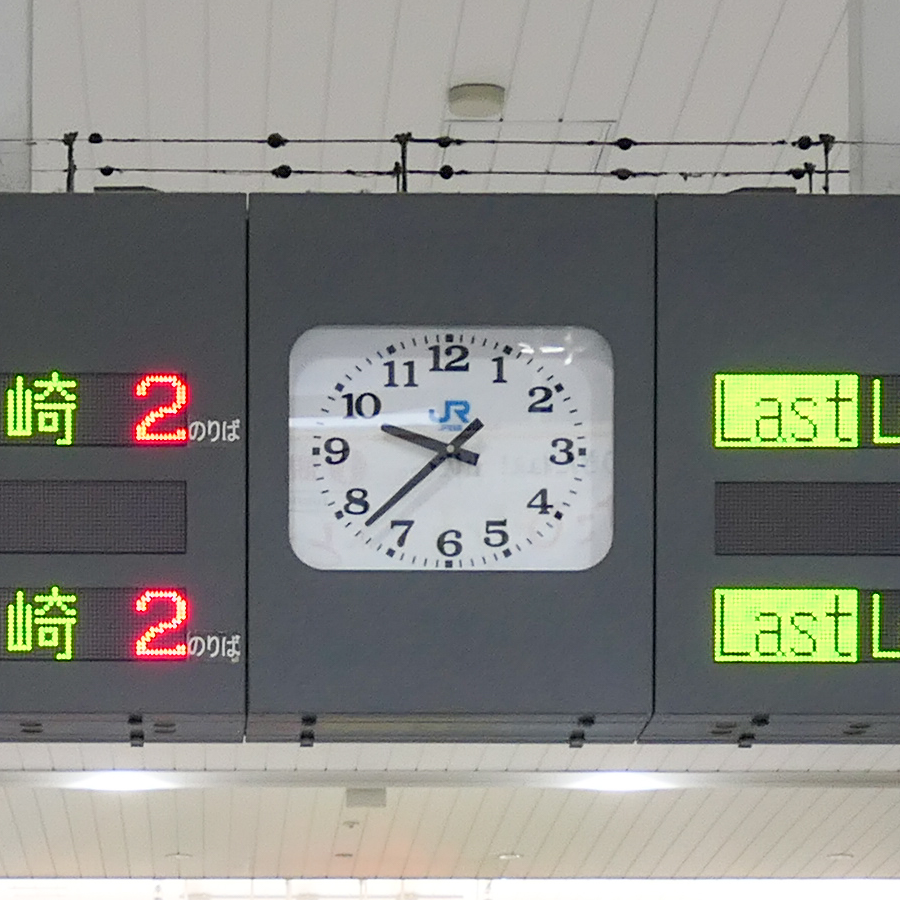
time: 9:37
